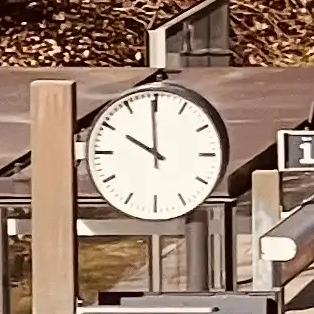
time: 9:59
